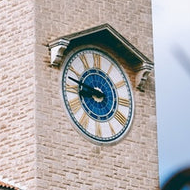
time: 8:47
